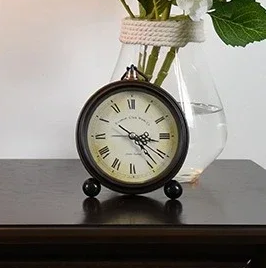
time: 3:23
